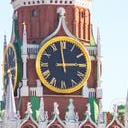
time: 2:58
